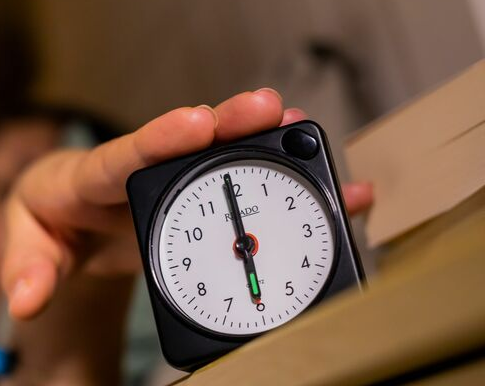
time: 5:59
